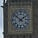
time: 1:51
